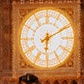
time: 6:10
